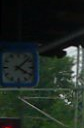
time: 4:07
